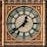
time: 12:38
